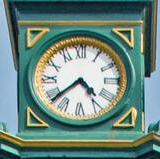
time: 4:38
